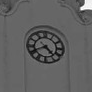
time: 4:40
